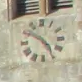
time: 4:50
